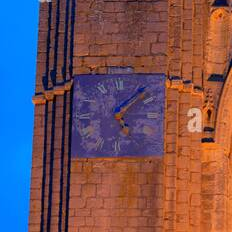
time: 5:07
